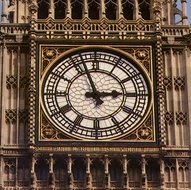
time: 2:56
